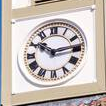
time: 10:13
